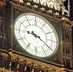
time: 9:20
